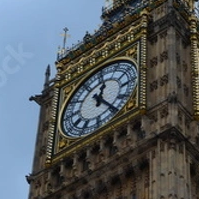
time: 12:23
